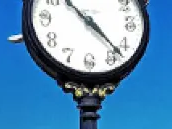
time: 10:22
